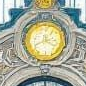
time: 3:40
